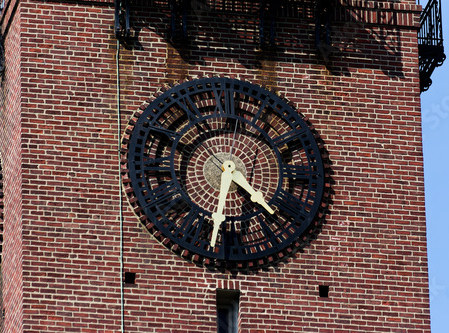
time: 4:31
